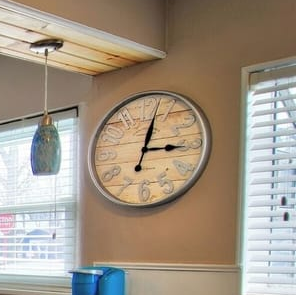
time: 3:02
